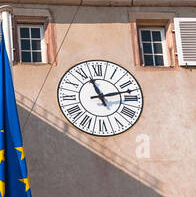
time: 11:12
